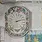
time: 2:12
